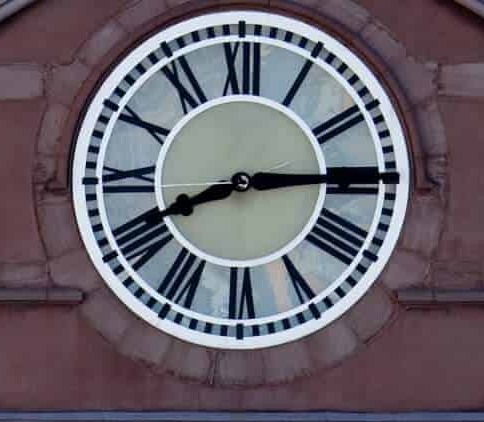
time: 8:14
